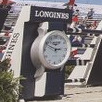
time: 2:49
